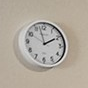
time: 1:57
